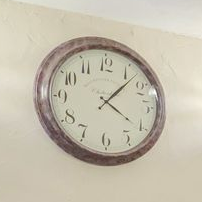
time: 4:07
